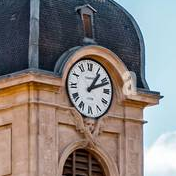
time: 1:11
